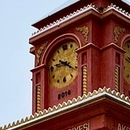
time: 9:20
